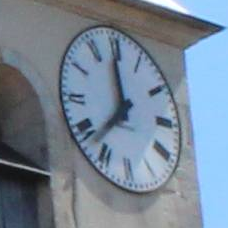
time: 11:37
